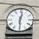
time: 12:29
